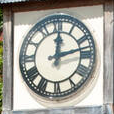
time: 12:12
